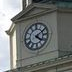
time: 4:09
